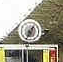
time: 12:34
